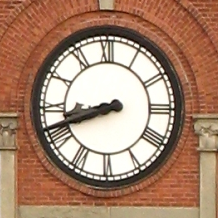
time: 8:41
